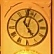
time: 5:02
